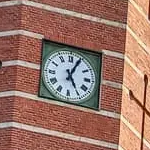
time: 5:04
